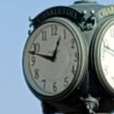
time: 12:47
